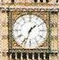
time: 1:33
